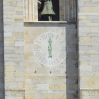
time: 5:59
